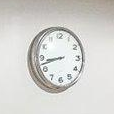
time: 8:42
